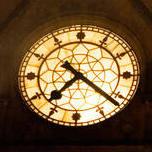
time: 7:21
